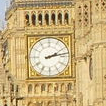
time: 2:13
